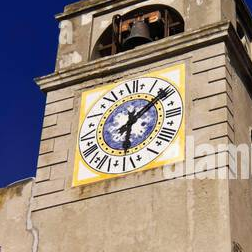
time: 6:08
